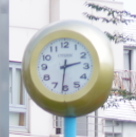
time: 2:31
